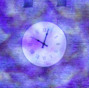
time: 10:02
